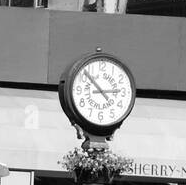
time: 2:52
